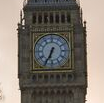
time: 6:34
